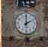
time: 2:00
